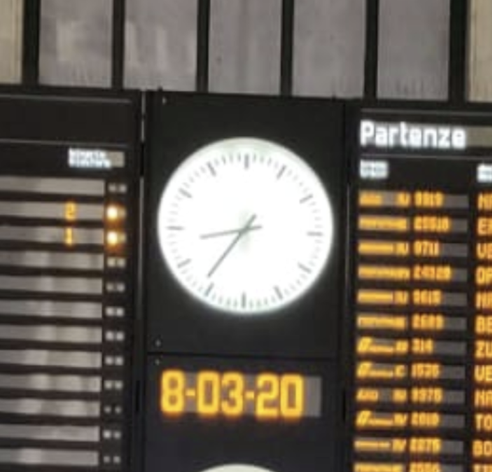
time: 8:36
